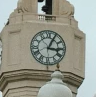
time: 3:04
